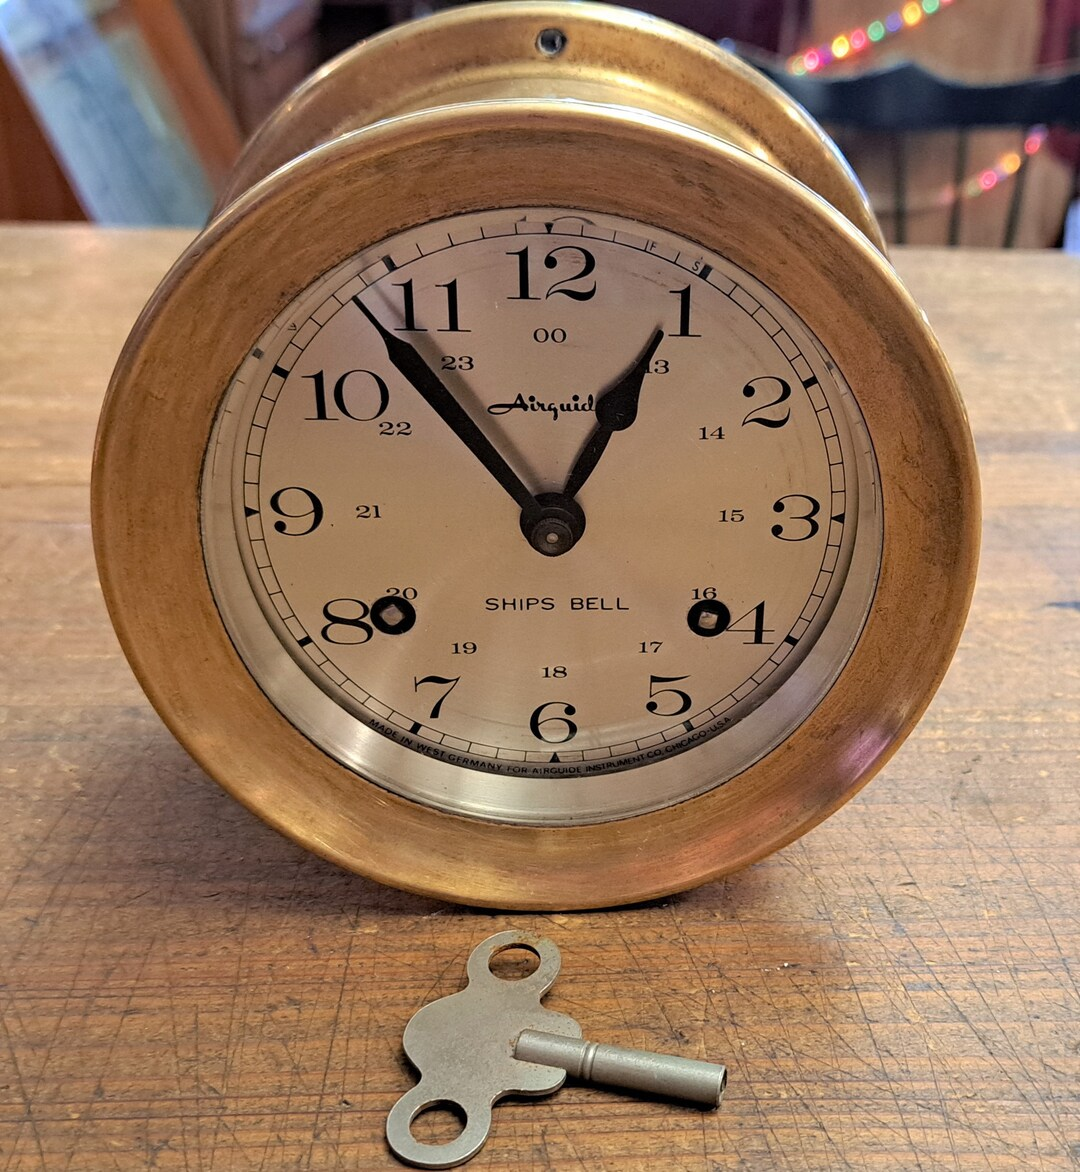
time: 12:53
